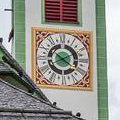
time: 2:21
